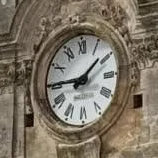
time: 1:45
